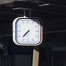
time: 7:37
